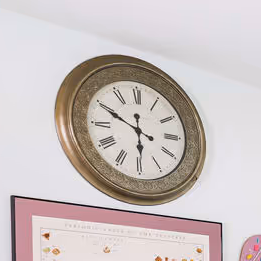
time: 5:49
